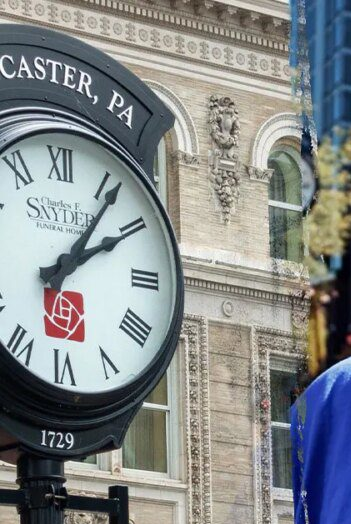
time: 2:06
